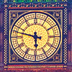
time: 5:47
